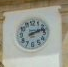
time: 2:11
